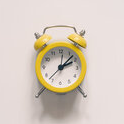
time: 2:07
